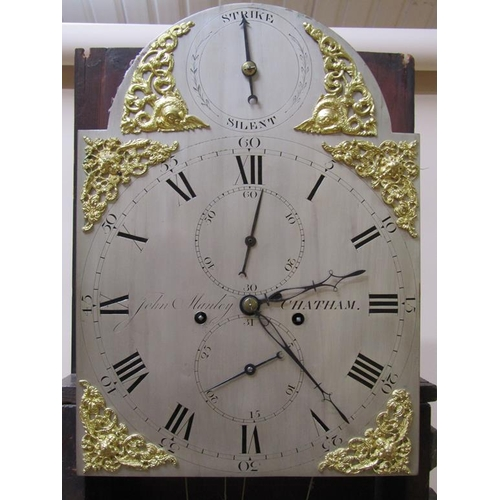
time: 2:23
